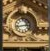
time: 2:43
